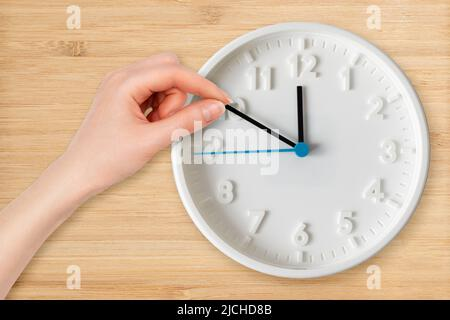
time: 11:49
